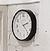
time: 2:23
